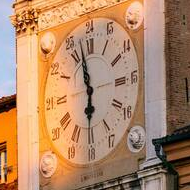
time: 5:57
